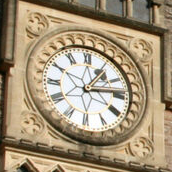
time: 1:13
